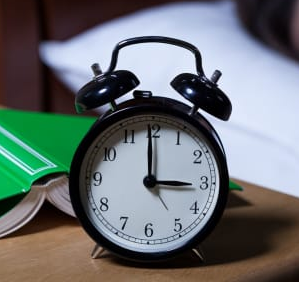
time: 2:59
